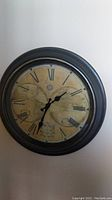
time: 1:33
